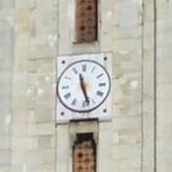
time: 11:27
